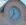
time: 11:35
